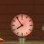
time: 7:53
